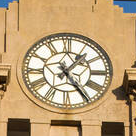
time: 1:24
